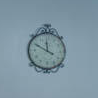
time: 11:49
